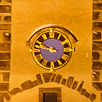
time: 9:45
